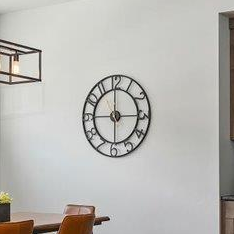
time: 5:59
